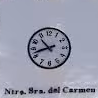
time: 10:42
